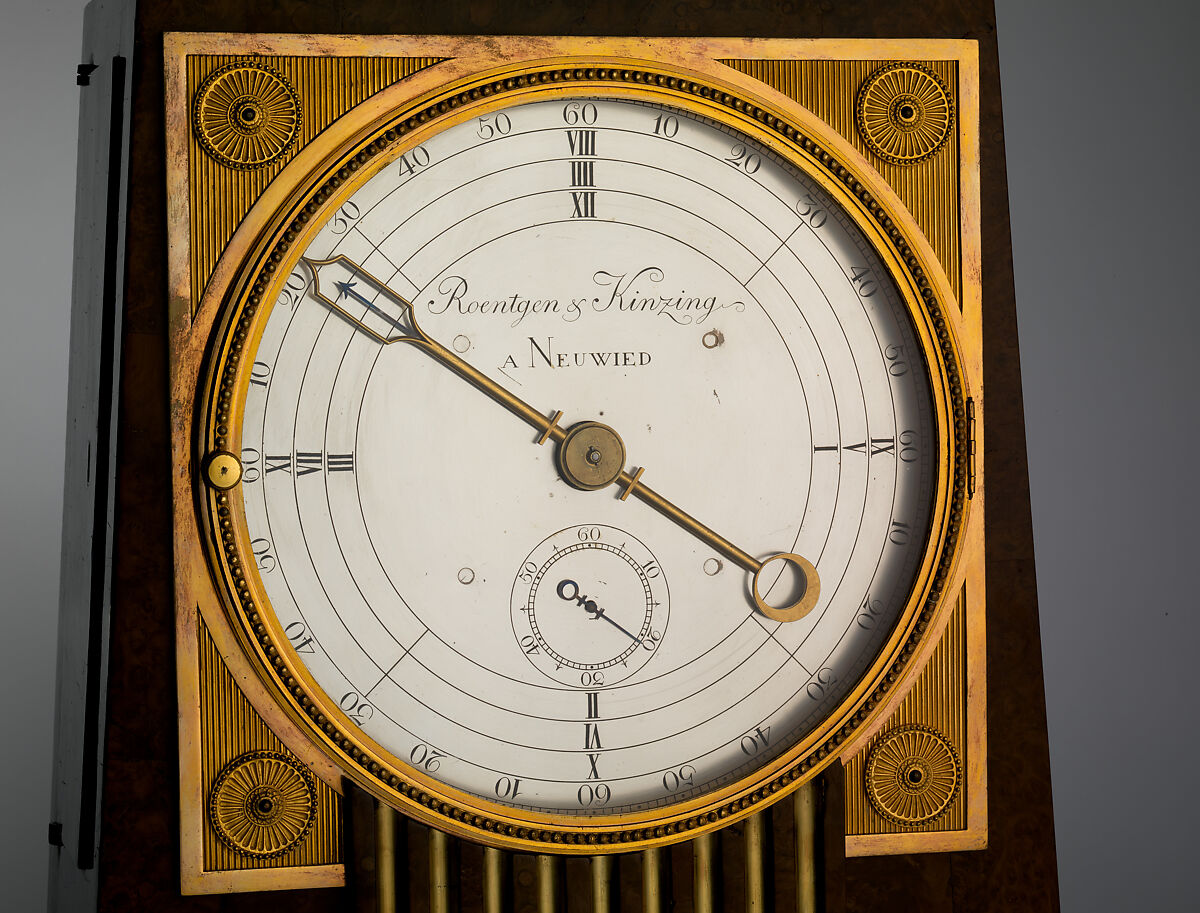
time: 3:50
